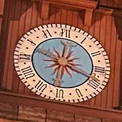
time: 12:18
